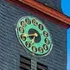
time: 6:41
